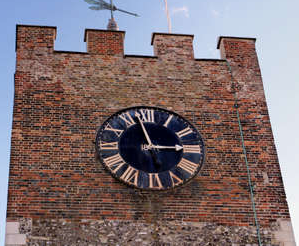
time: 2:57
